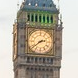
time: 2:38
